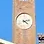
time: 4:12
